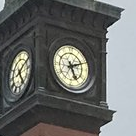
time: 5:11
